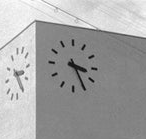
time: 3:24
